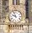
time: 9:57
